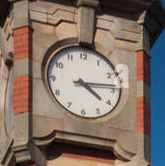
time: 4:13
